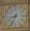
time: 8:34
